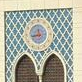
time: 11:42
